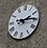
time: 2:15
